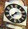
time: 2:39
